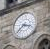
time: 3:37
